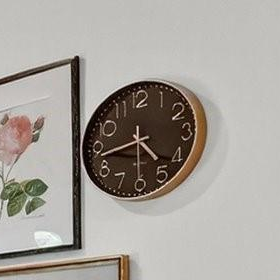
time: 4:43
